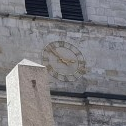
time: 2:52
